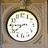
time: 7:44
